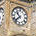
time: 10:37
